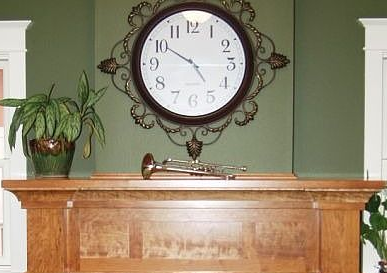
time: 4:50
